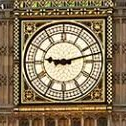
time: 9:12
